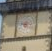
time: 9:12
